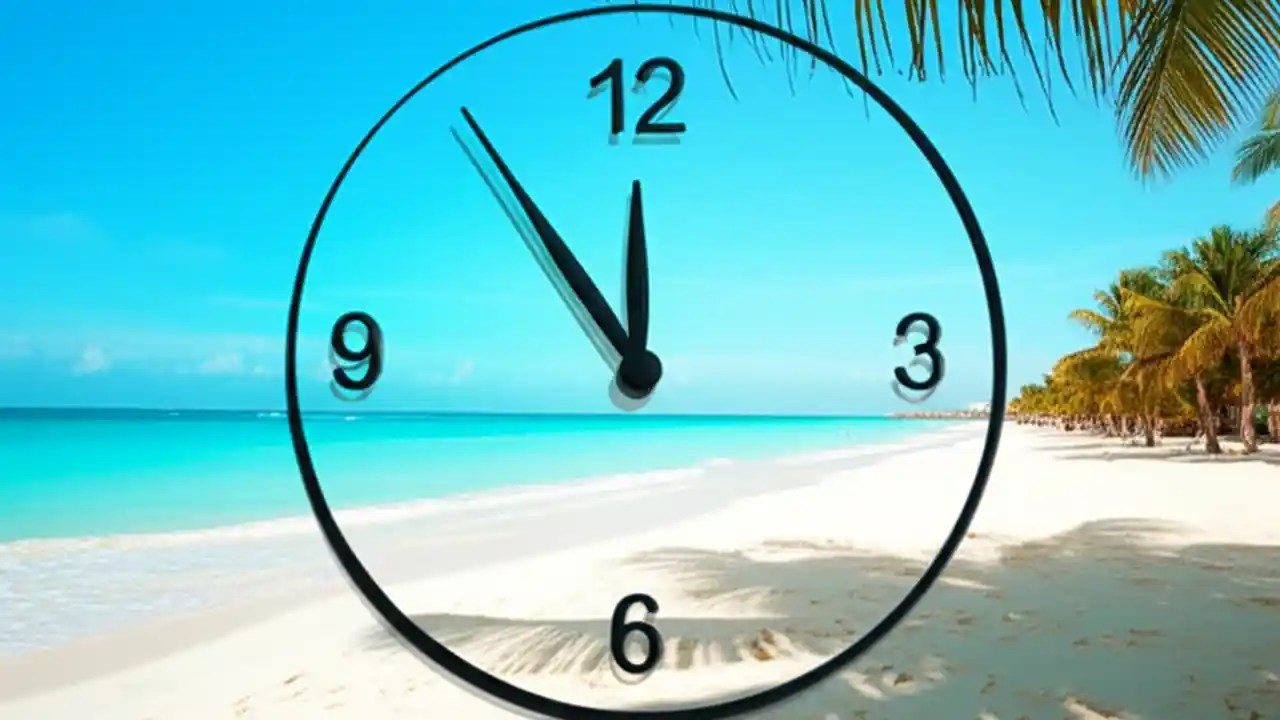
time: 11:54
